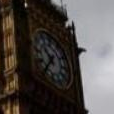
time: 10:36
